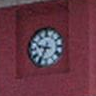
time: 9:34
